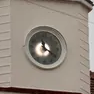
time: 12:20
